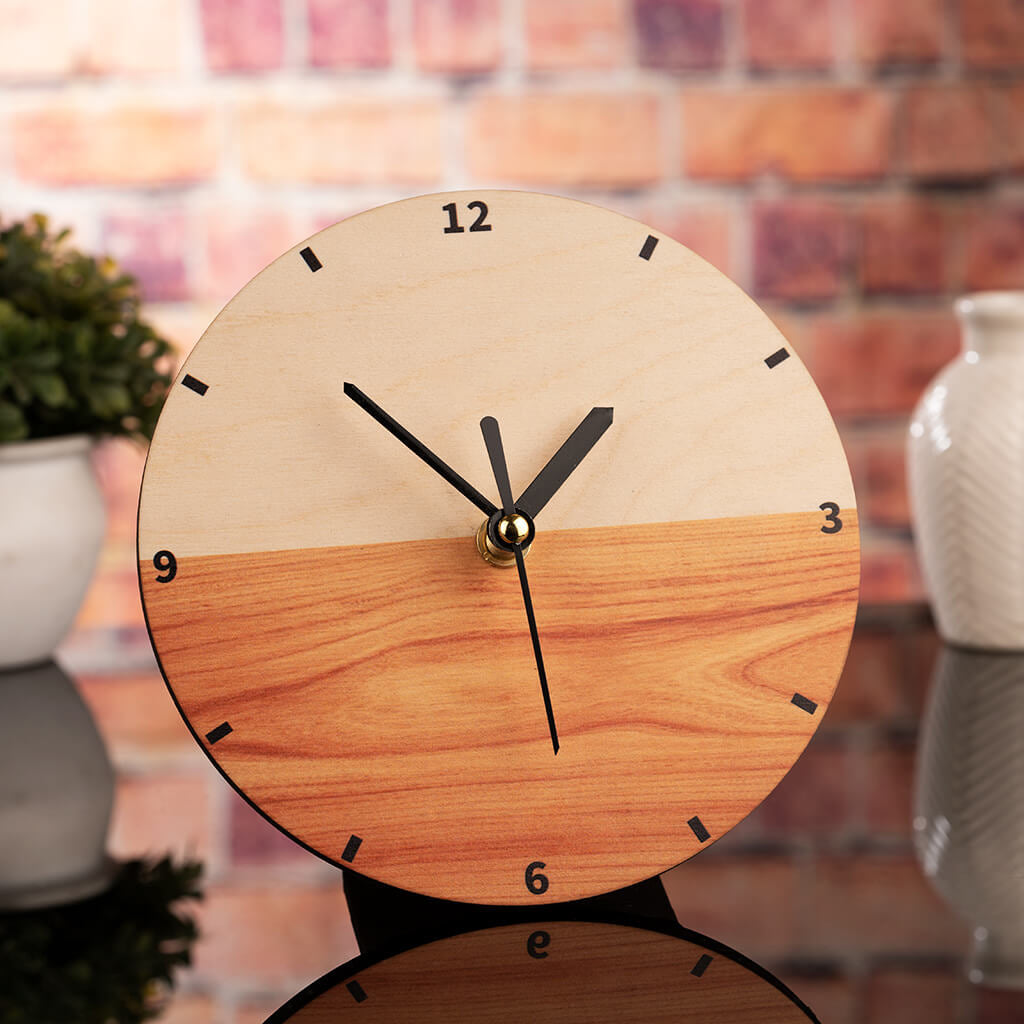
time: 1:28
